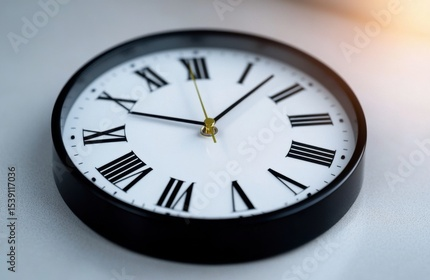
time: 9:07
